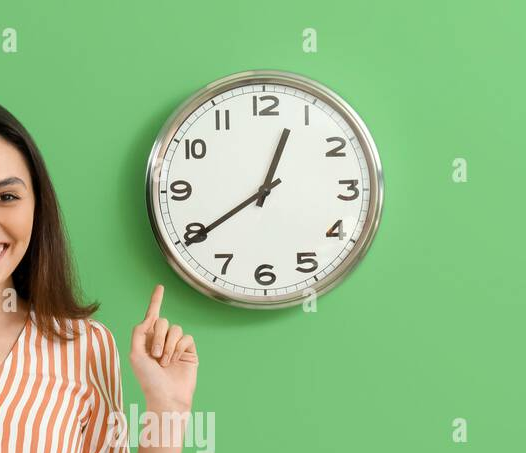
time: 12:39
